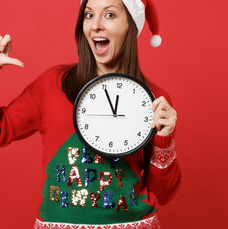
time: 11:54
